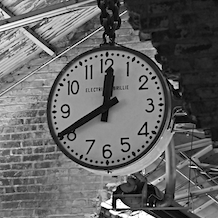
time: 11:40
